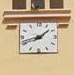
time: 1:42
